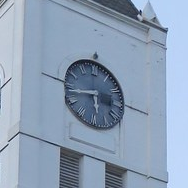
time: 5:43
